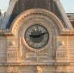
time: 9:11
